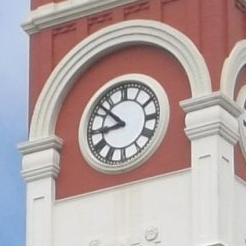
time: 8:52
